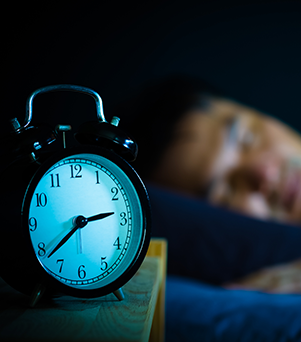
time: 2:38
